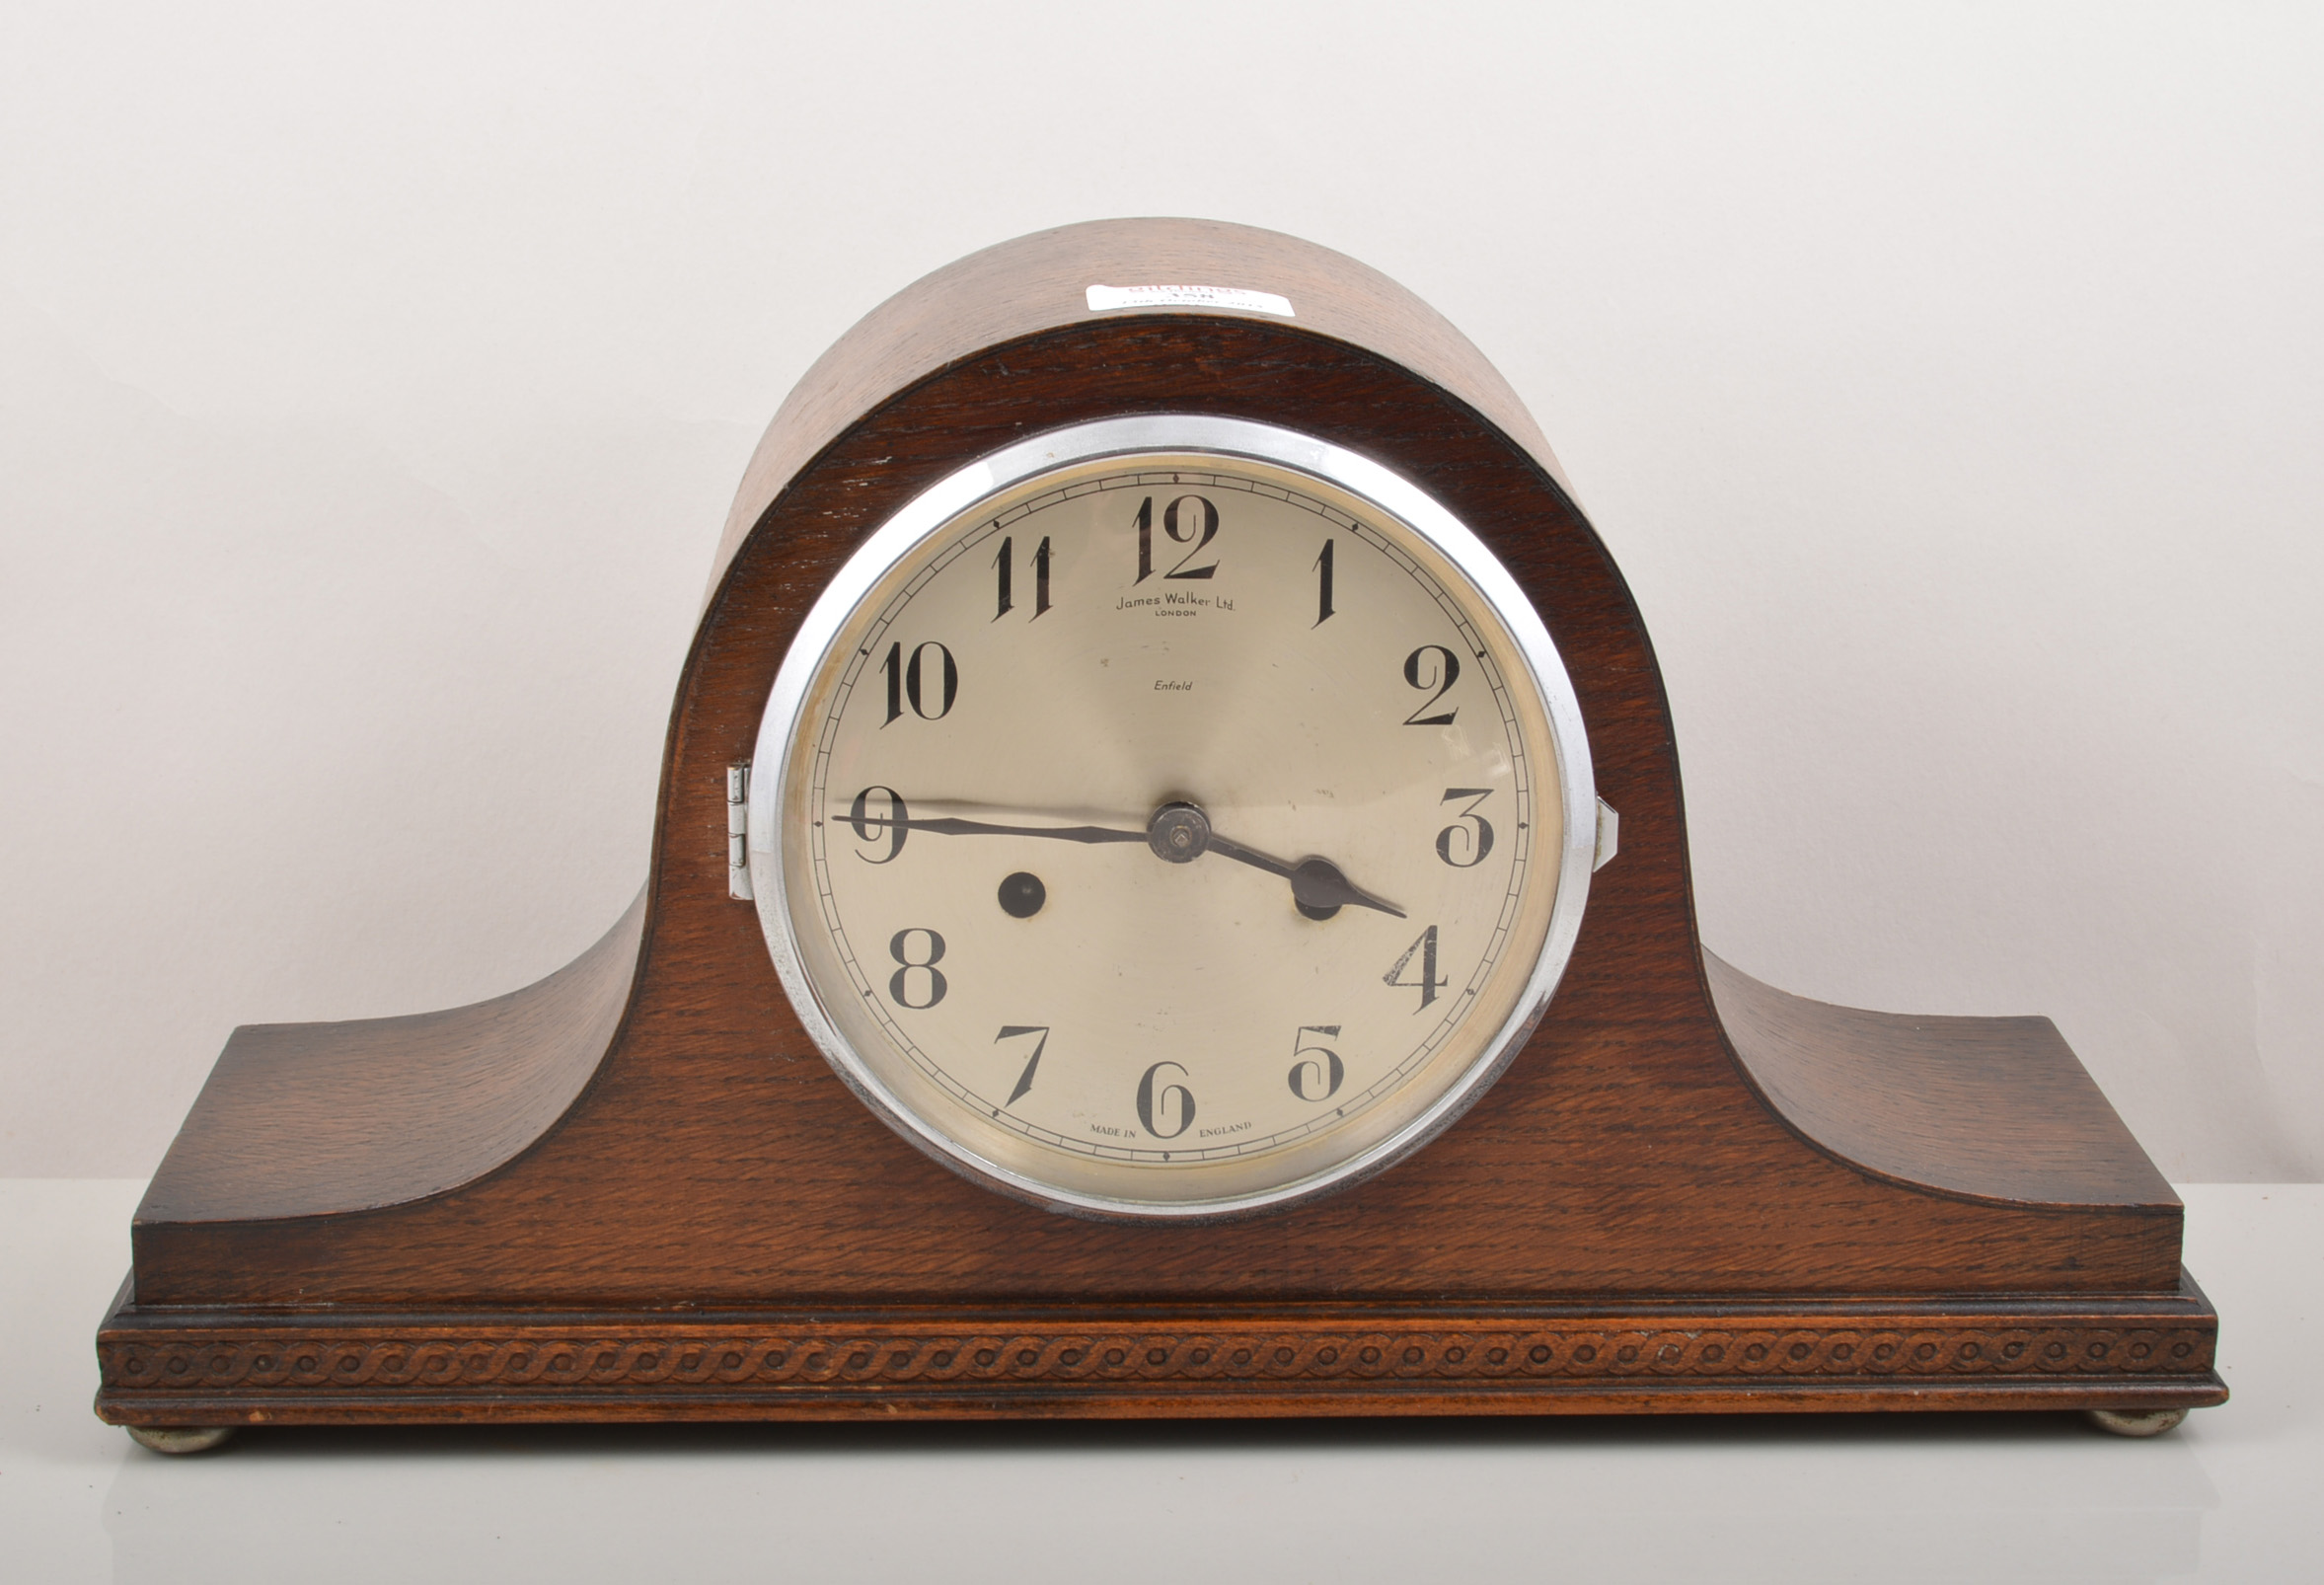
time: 3:45
